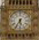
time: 5:35
